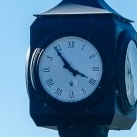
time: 3:53
